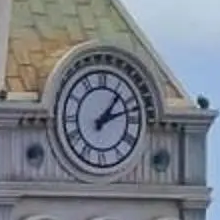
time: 1:12
